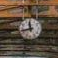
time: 11:42
